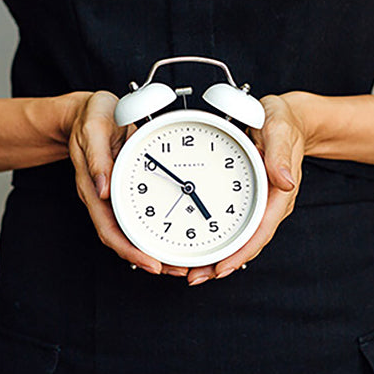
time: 4:51
